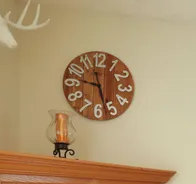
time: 9:26
